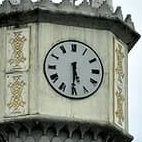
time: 5:30
